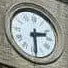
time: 2:29
